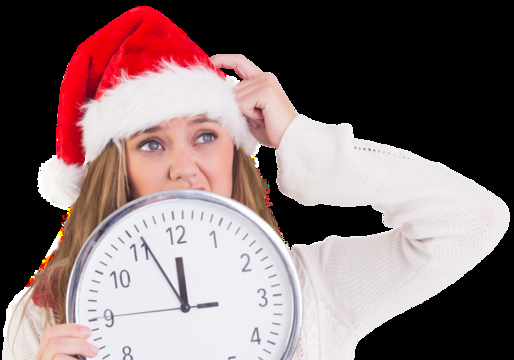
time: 11:55
